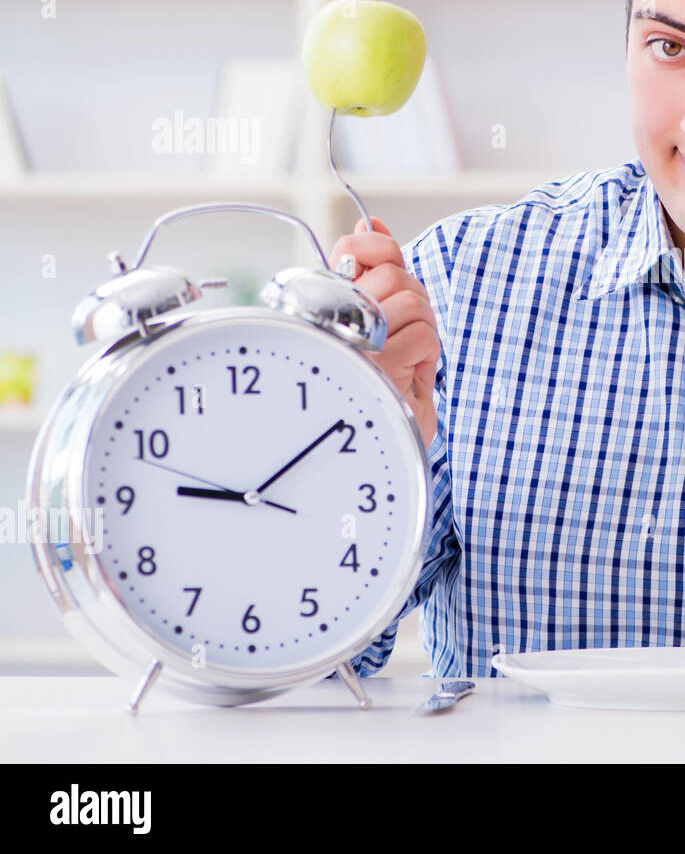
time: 9:09
